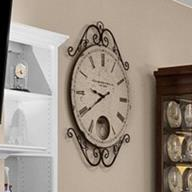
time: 9:40
